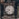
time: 9:38
